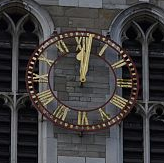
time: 12:01
